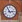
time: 2:56
